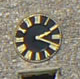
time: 2:18
